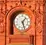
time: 1:27
